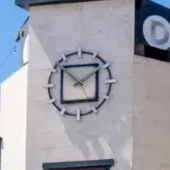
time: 1:51
